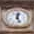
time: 12:26
